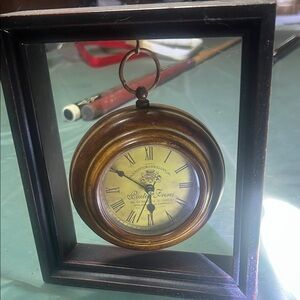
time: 5:50
